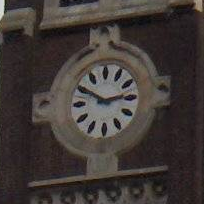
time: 2:49
